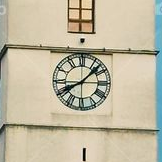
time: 8:07
